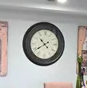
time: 10:39
